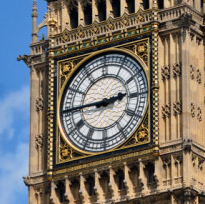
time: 2:45
